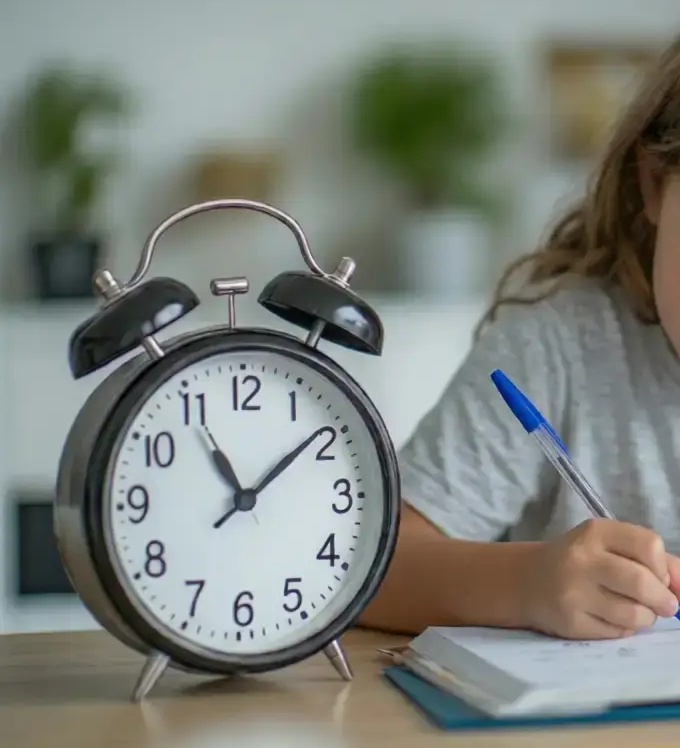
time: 11:08
